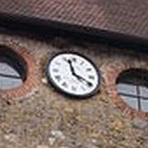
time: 3:57
